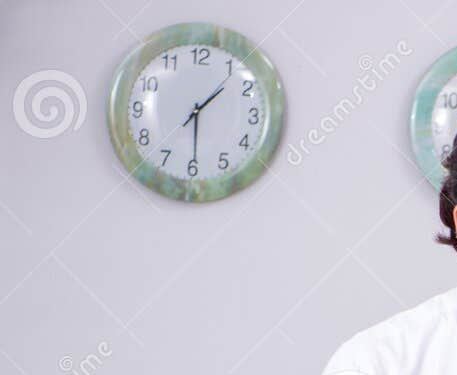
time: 1:29
